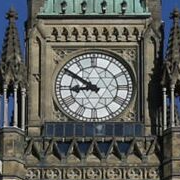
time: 8:50
